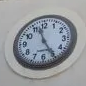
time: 11:25
